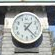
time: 1:22
